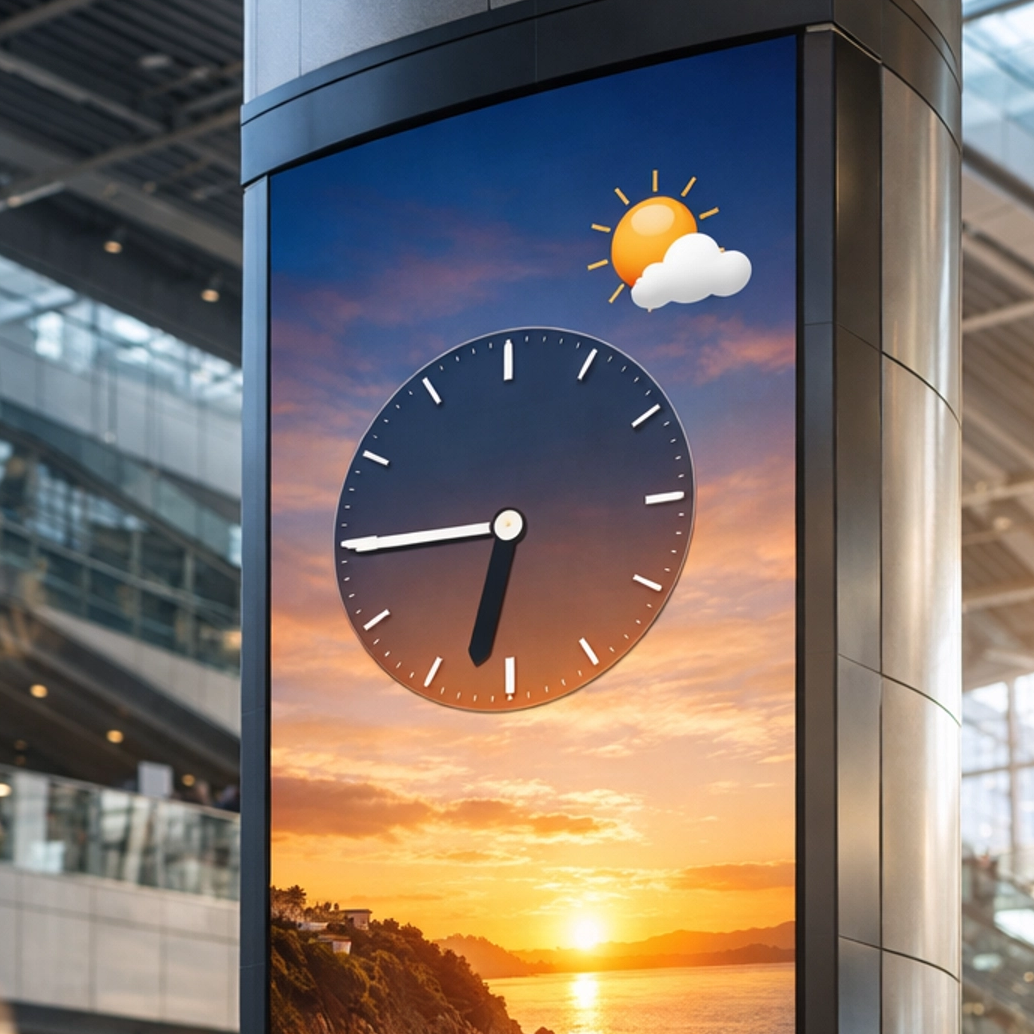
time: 6:45
